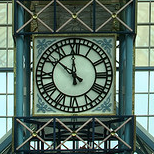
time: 11:51
